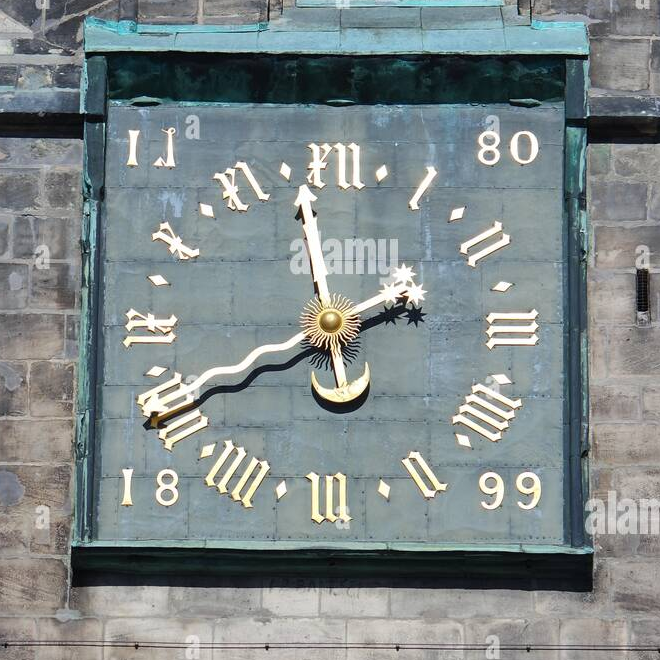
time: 11:40
